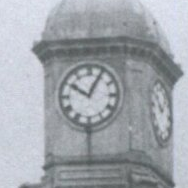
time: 10:04
